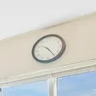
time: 10:24
